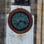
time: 7:17
